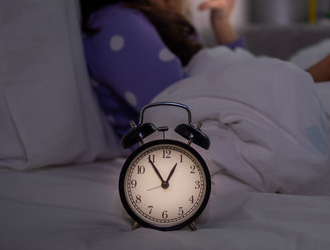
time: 12:54
